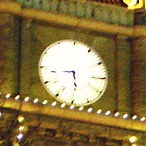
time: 5:29
